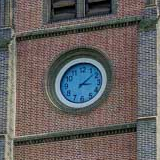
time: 3:08
